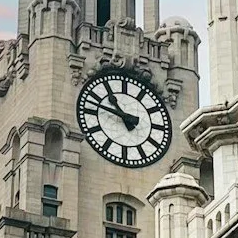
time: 10:47
